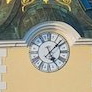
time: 5:07
